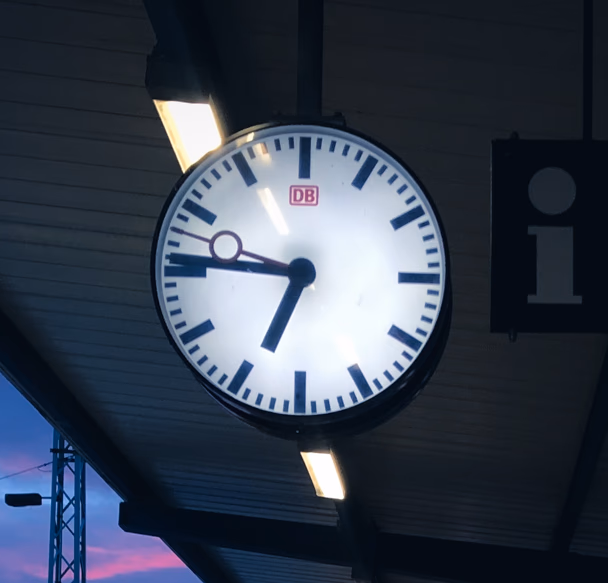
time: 6:46
